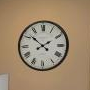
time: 1:51
